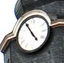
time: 4:54
